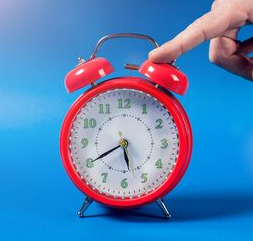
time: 5:40
